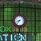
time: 8:37
